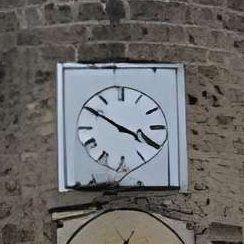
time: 3:50
